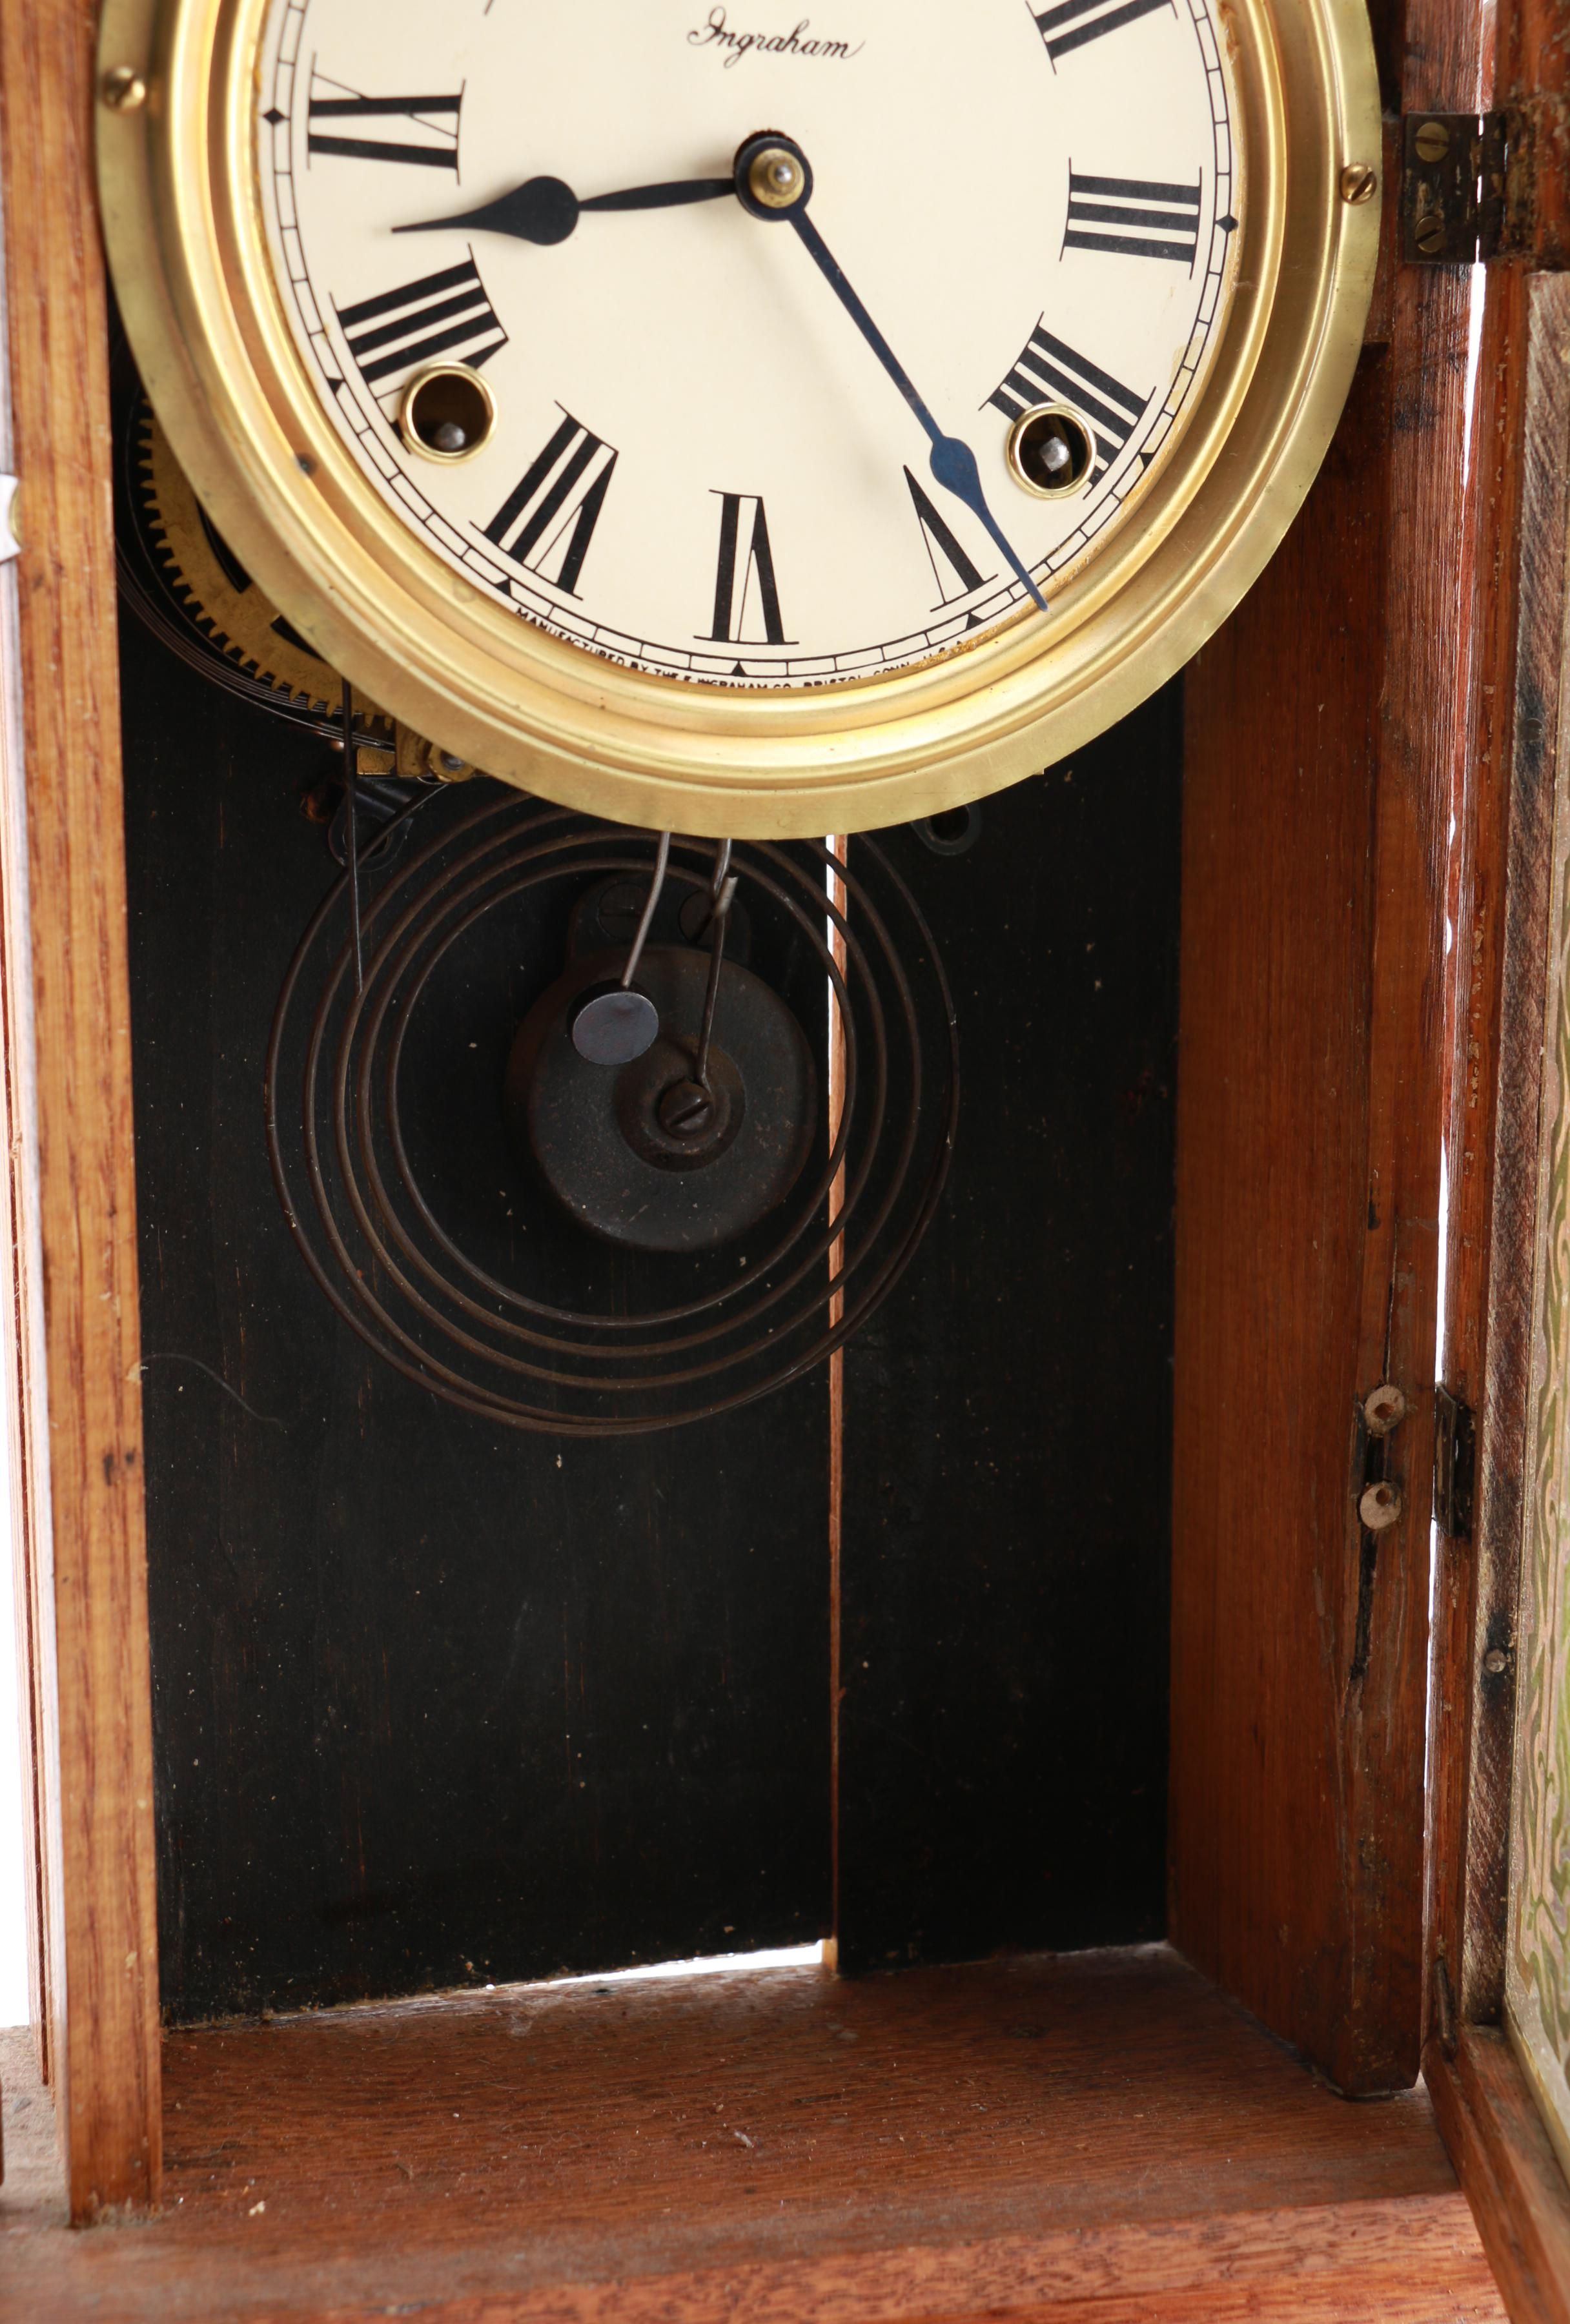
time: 8:23
